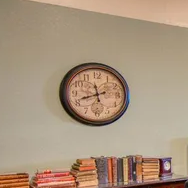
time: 11:42
